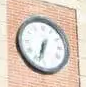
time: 6:32
